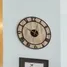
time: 10:03
